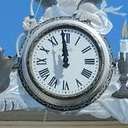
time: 11:59
